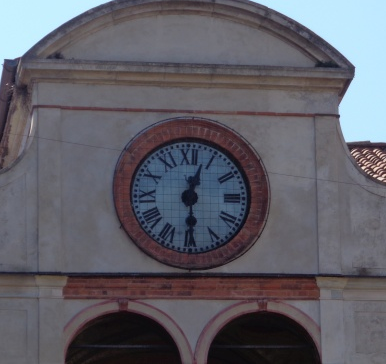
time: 12:29
